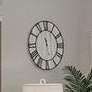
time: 11:28
